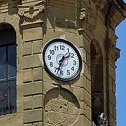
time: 1:33
